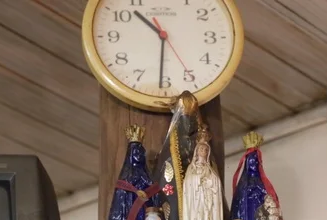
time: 10:30
